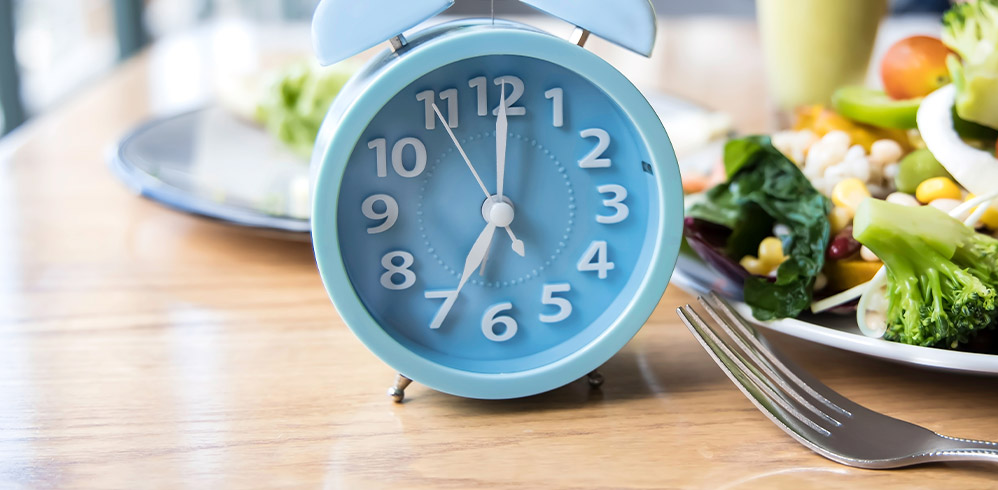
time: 7:00
